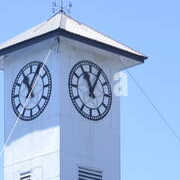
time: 11:04
